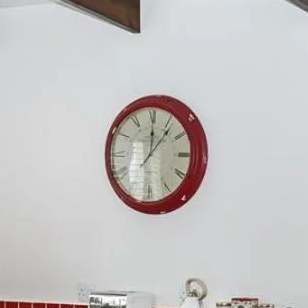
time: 12:06
